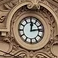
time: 12:13
